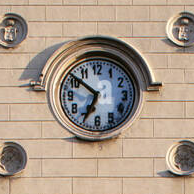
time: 6:51
